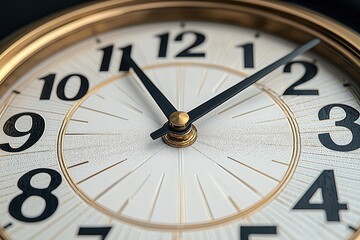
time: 11:08
